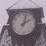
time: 2:02
